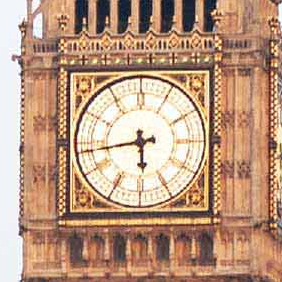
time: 5:43
